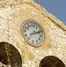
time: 2:11
